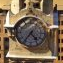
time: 4:36
